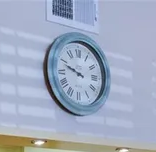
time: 9:48
